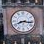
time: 8:16
